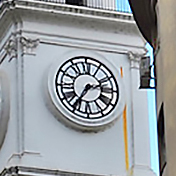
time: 2:35
